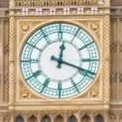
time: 12:18
